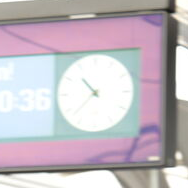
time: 10:37
